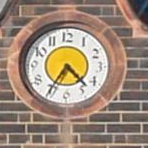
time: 4:35
